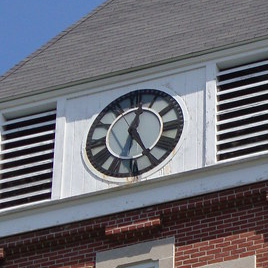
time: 12:24
